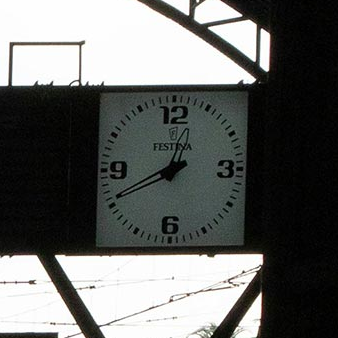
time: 12:40
